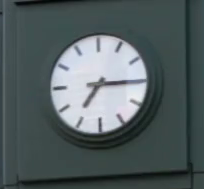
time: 7:15
